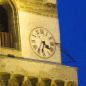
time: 4:34
